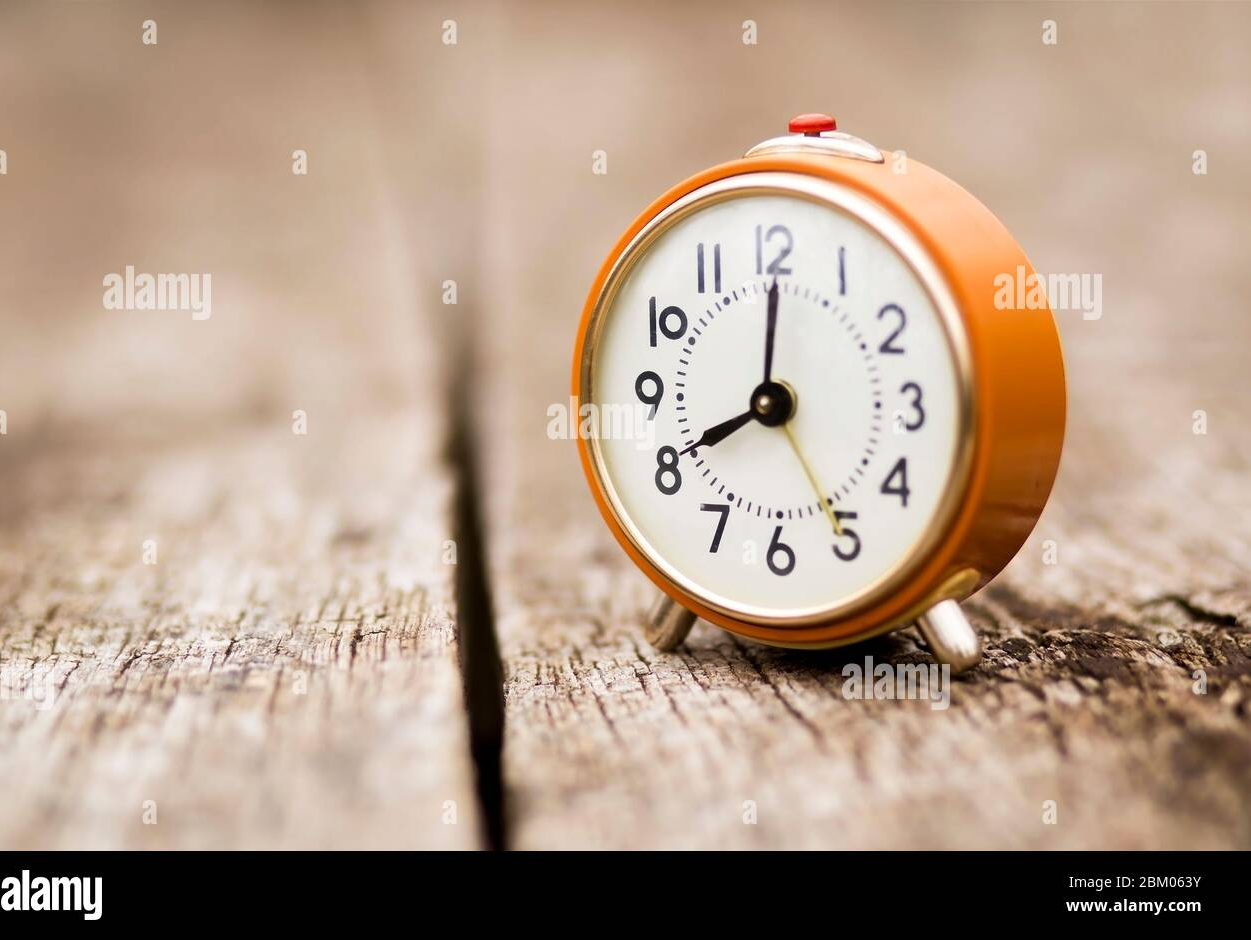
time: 8:00
